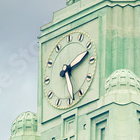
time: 2:28
